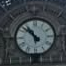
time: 10:52
